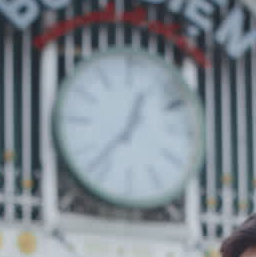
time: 12:37
